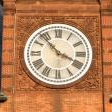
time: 3:53
